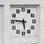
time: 5:46
